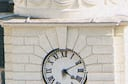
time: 4:10
